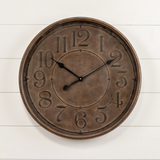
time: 10:09
